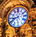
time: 8:40
